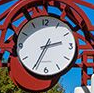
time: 2:34
